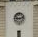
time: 9:12
